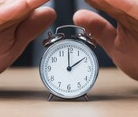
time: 1:59
